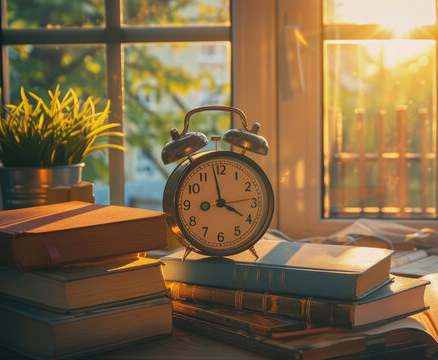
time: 3:58
